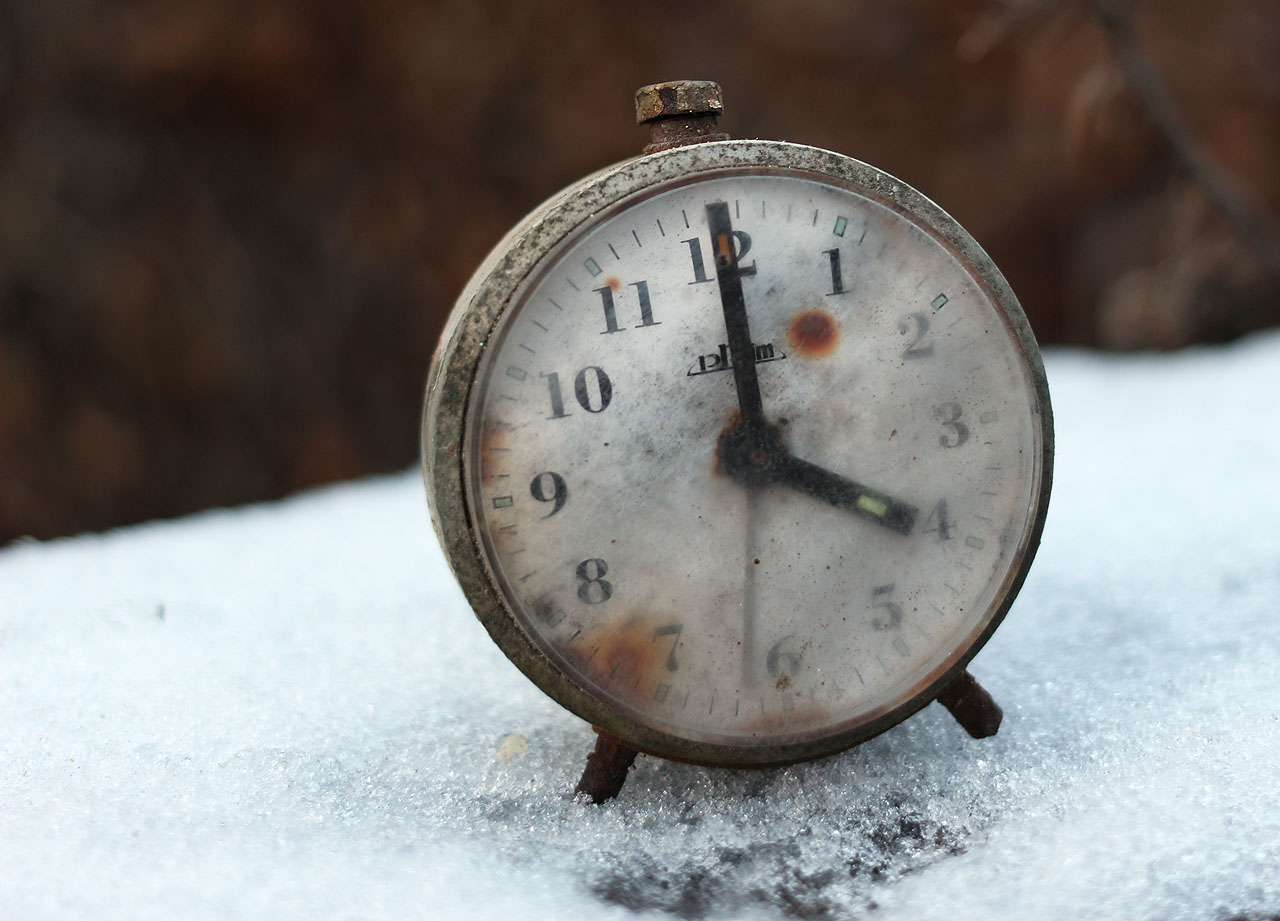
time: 4:00
